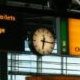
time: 6:15
